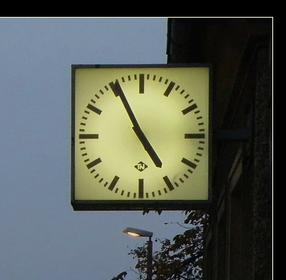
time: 4:55
